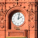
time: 2:02
